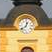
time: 12:38
